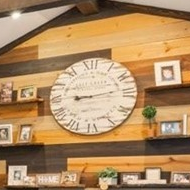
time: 9:13
